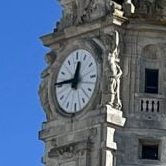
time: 12:46
